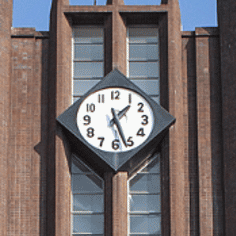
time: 1:26
